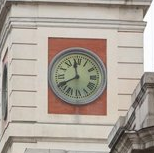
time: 11:40
